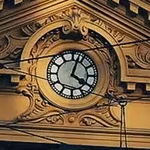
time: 4:02
